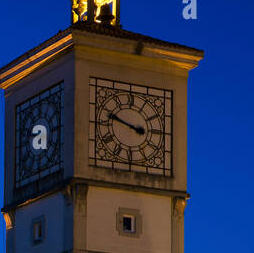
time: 3:48
